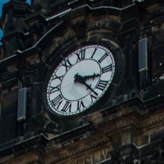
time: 3:23
